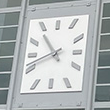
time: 10:41
